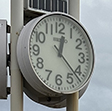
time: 12:22
